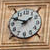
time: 1:49
